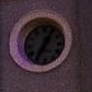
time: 12:34
